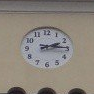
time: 2:14
